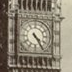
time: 4:24
